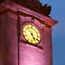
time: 4:52
